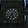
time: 5:35
